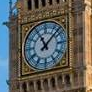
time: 11:07
